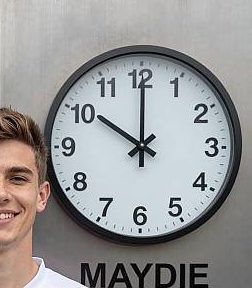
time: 10:00
